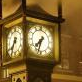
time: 7:32
